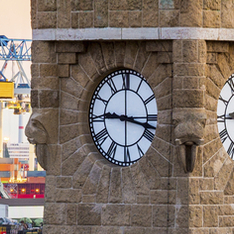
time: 9:17
